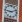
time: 9:11
